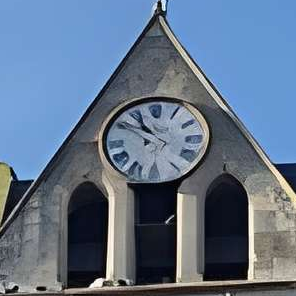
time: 10:50
